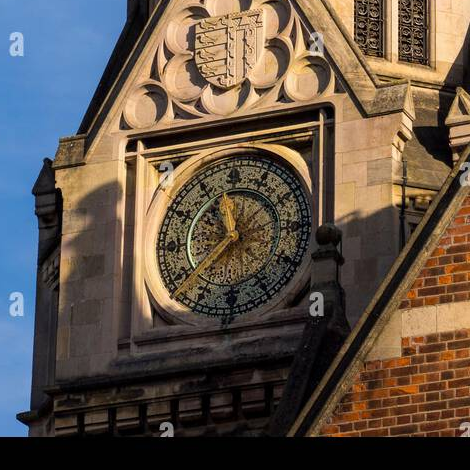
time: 11:37
